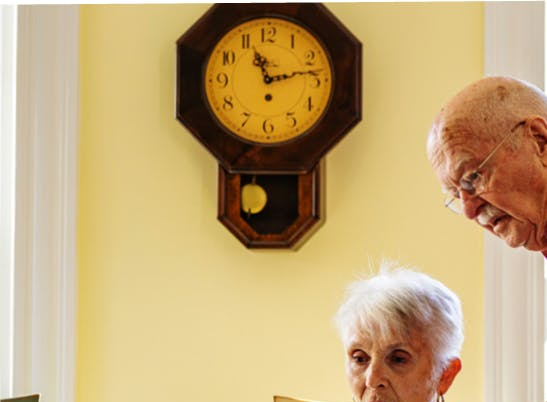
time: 11:13
